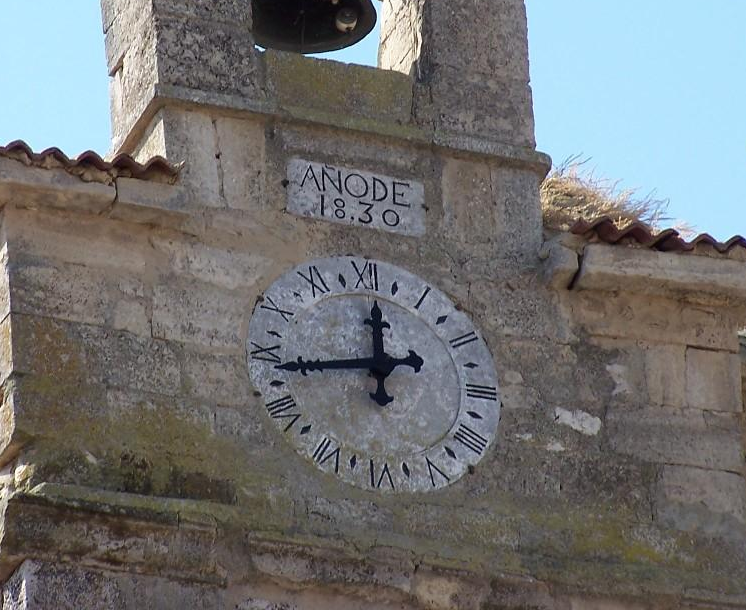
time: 11:43
